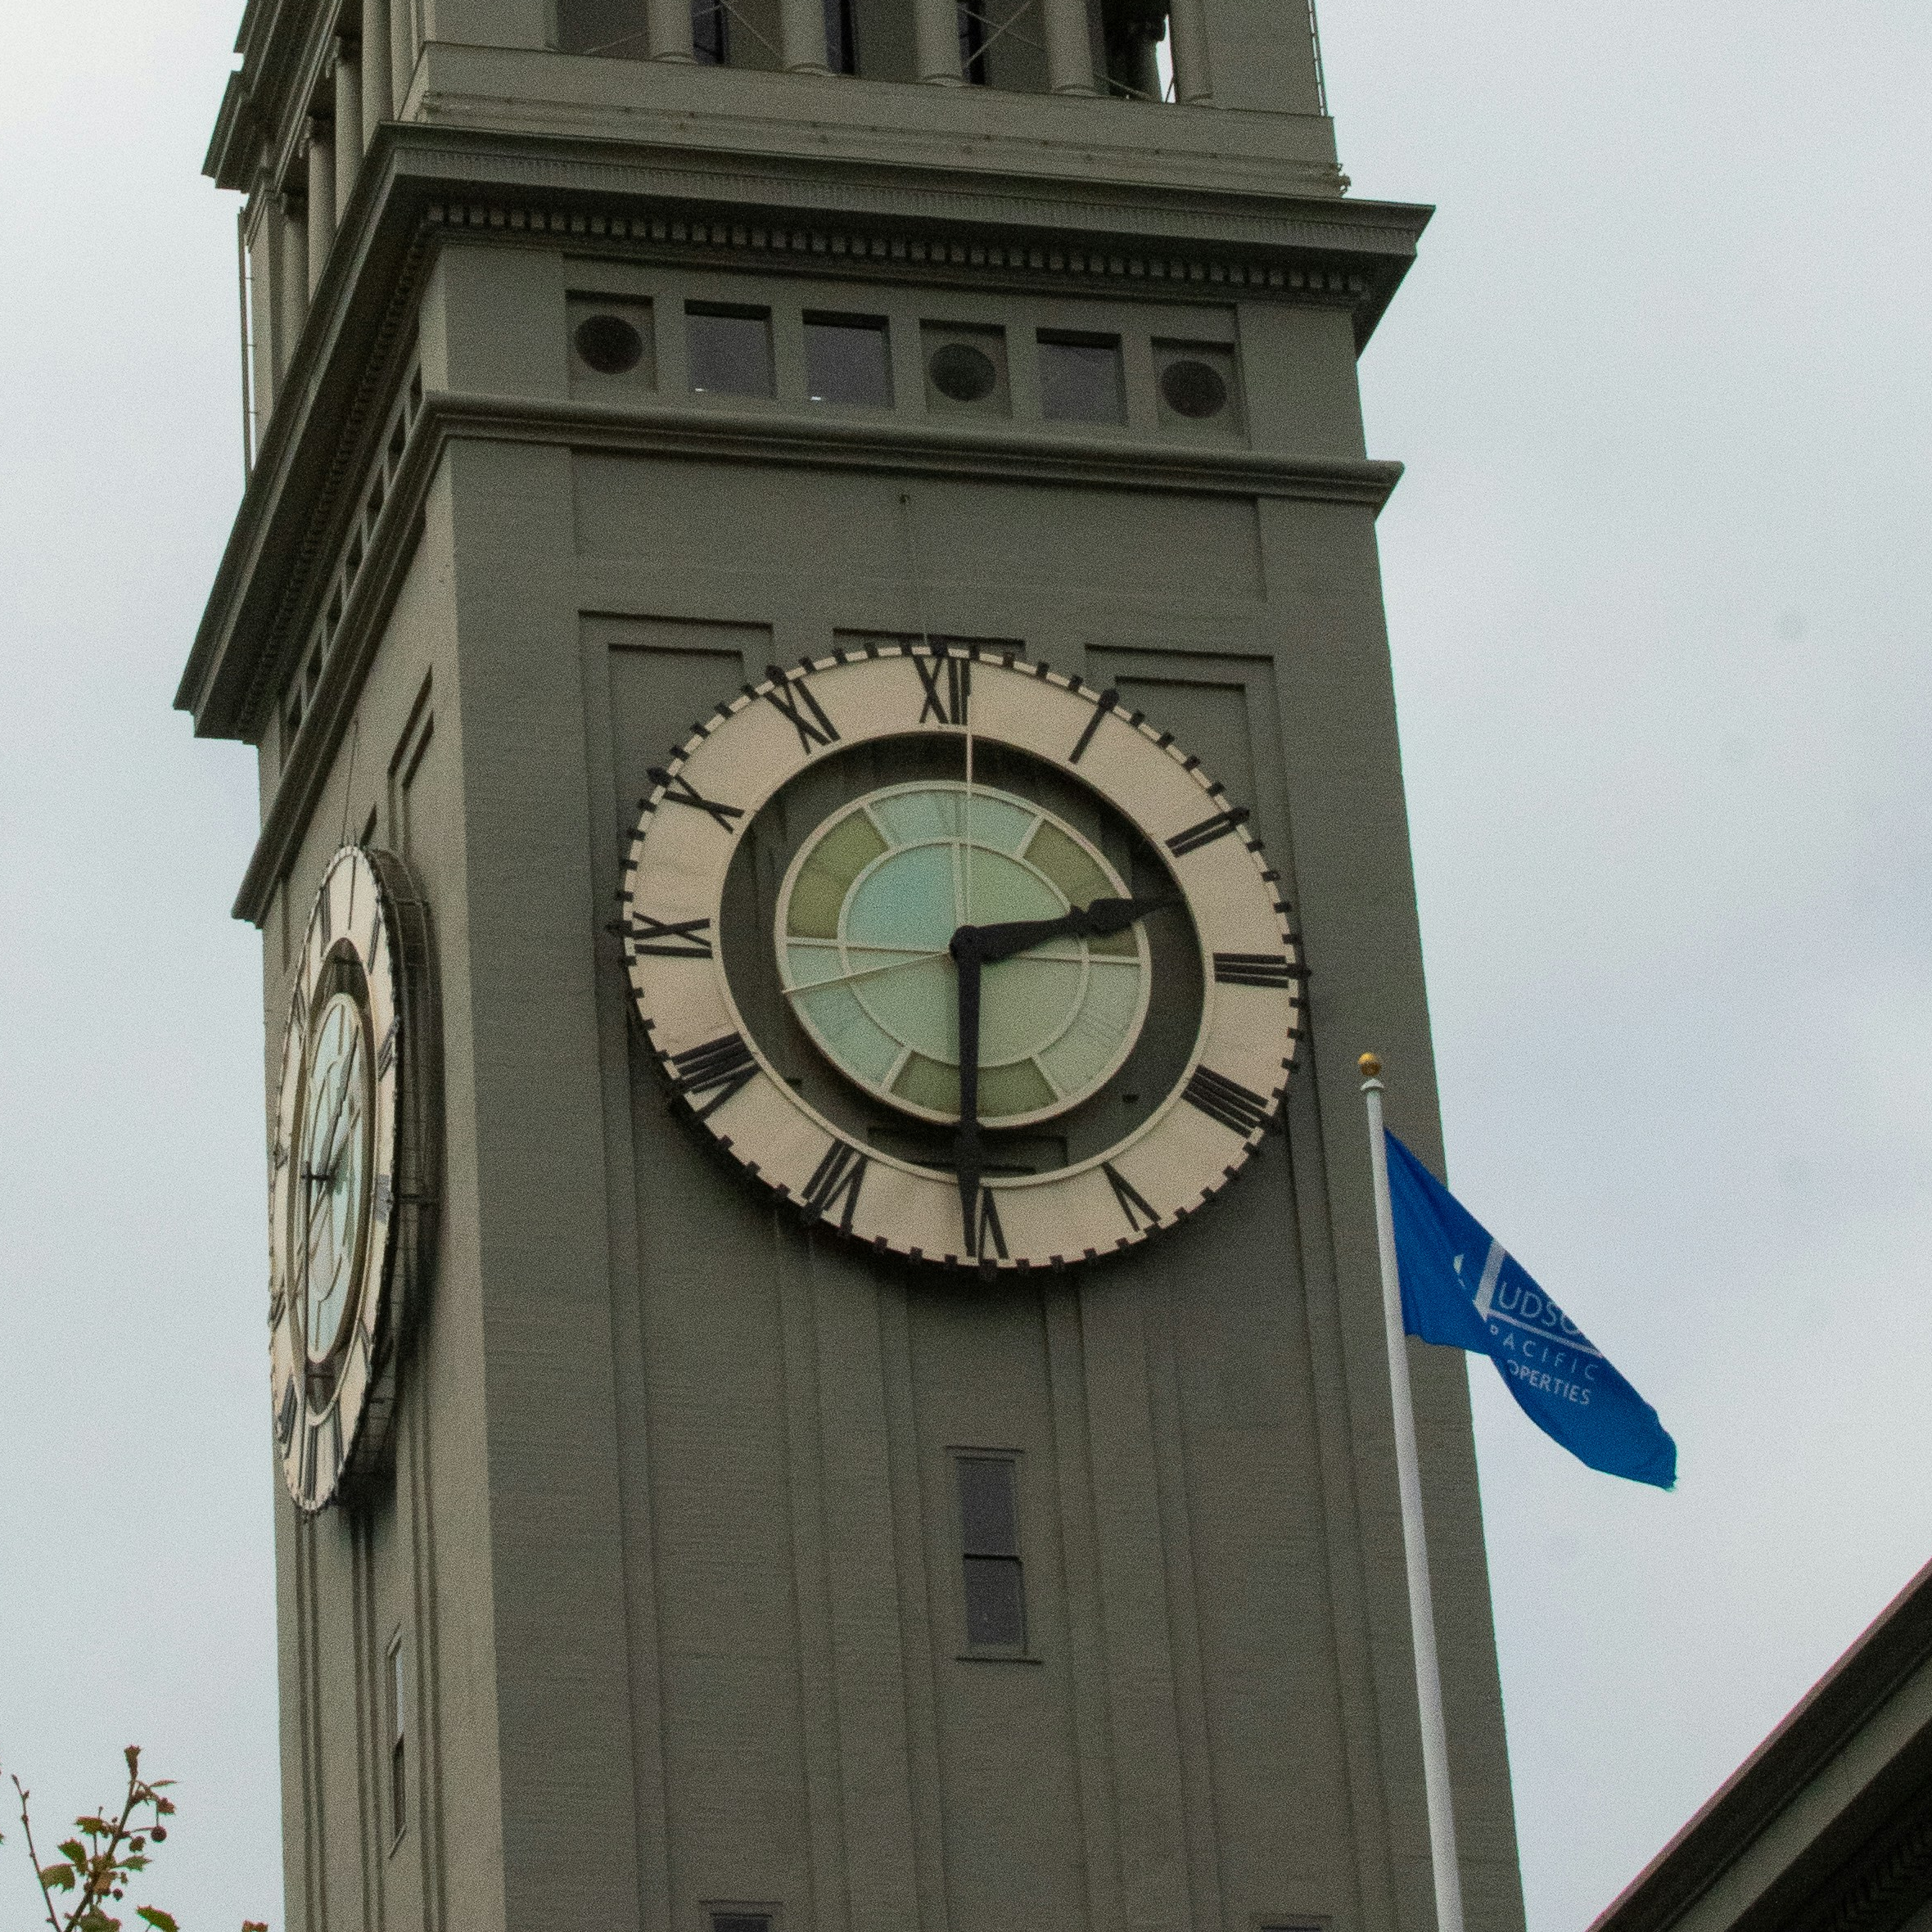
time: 2:30
